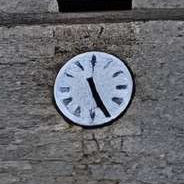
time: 11:25
